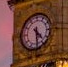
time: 4:29
